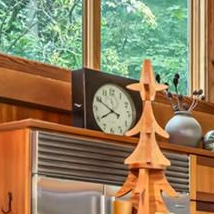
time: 7:49
